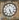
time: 5:26
